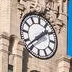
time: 1:37
